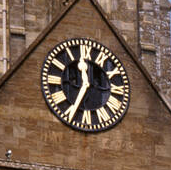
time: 11:34
